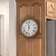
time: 11:32
